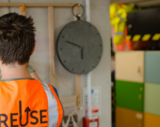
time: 5:48
